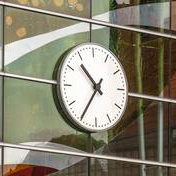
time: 10:35
